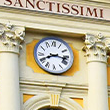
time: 8:16
